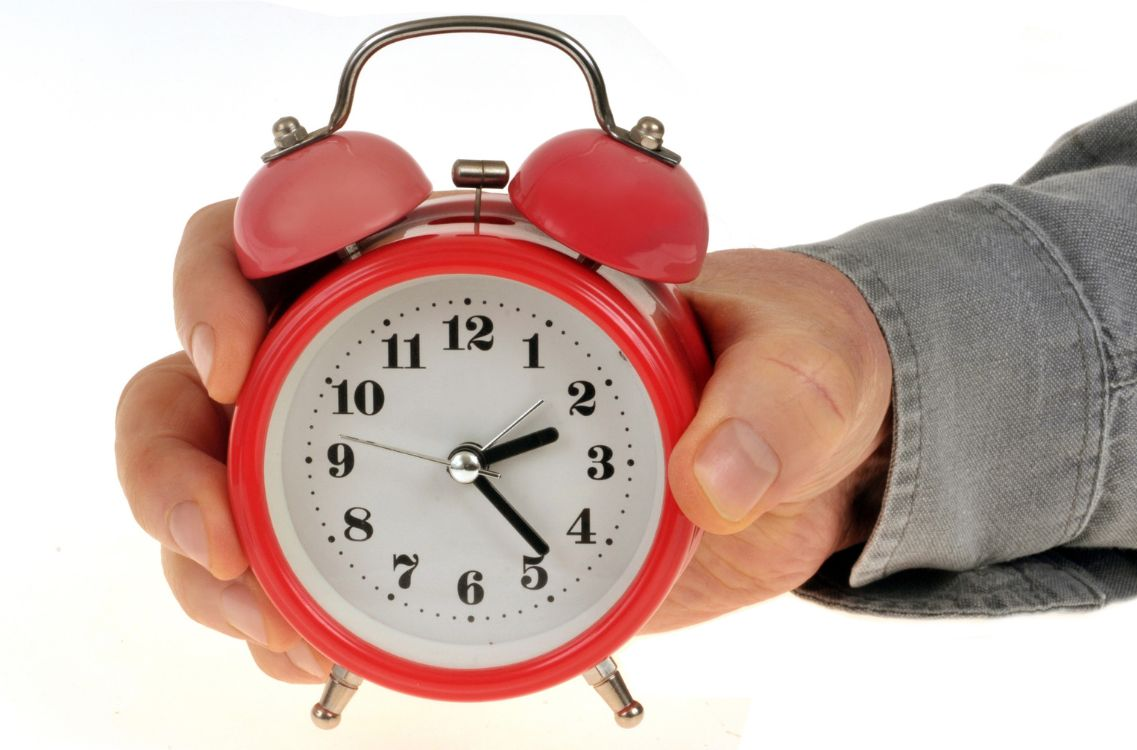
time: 2:23
